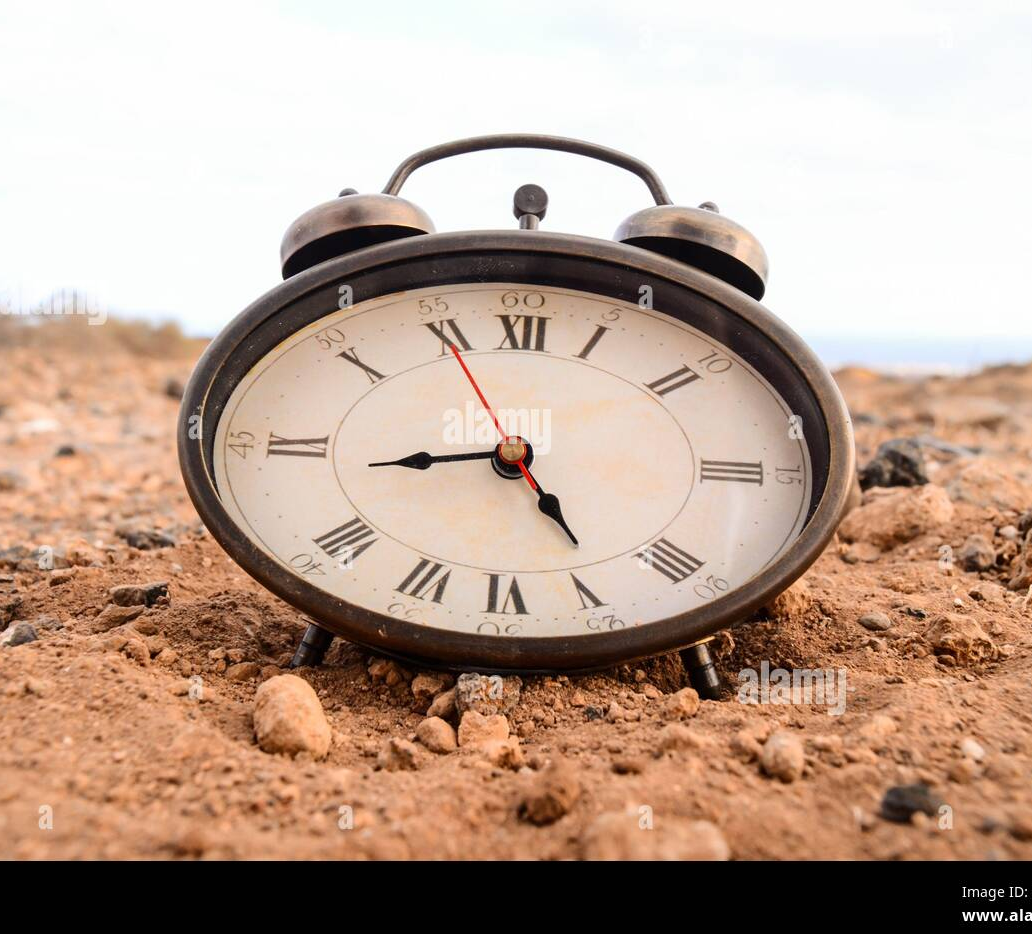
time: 4:43
